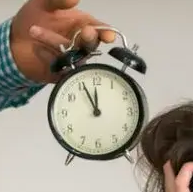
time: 11:55
